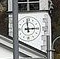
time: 2:58
